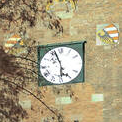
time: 5:56
